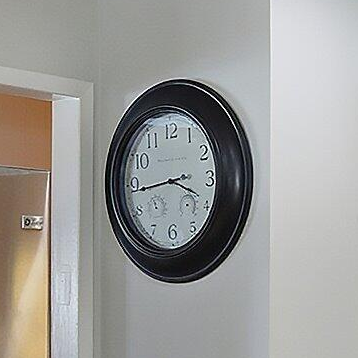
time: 3:43
